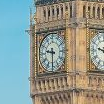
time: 9:30
